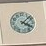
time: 4:07
